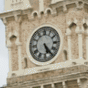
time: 5:24
